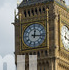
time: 12:16
